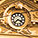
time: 3:37
